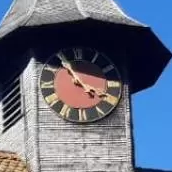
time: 3:54
